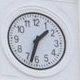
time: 1:32
